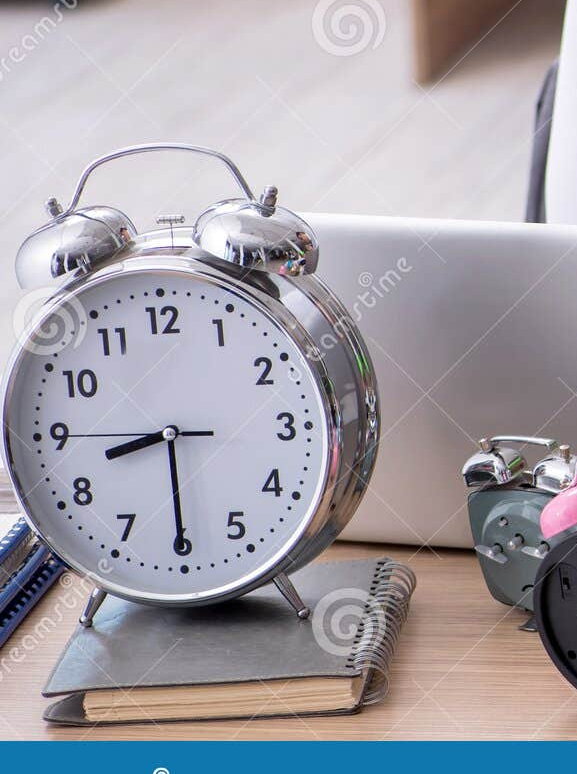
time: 8:29
